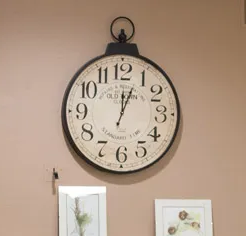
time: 12:03
